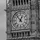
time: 12:53
